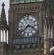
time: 3:38
